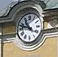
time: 10:47
